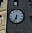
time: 6:35
